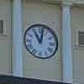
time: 11:02
